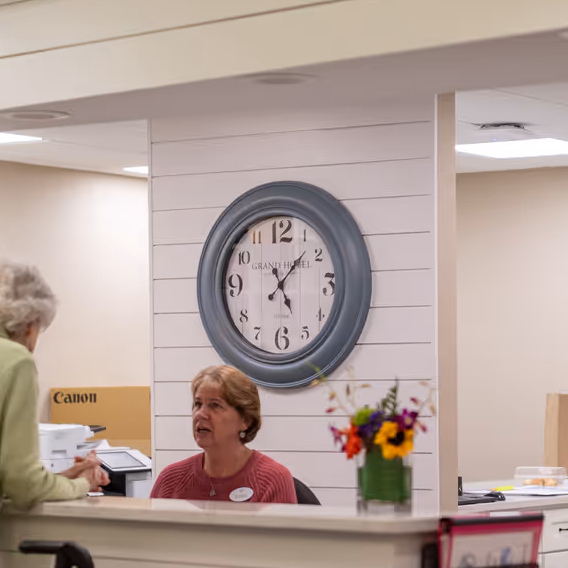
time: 5:07
